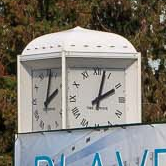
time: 2:02
